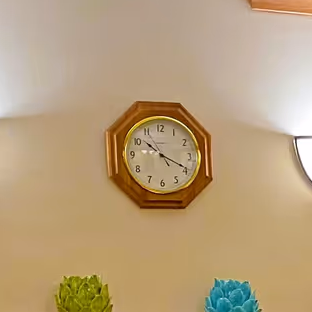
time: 10:19
